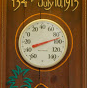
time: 8:12
